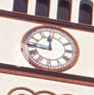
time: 11:44
